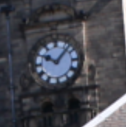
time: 10:07
